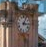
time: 3:04
